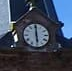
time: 6:00
